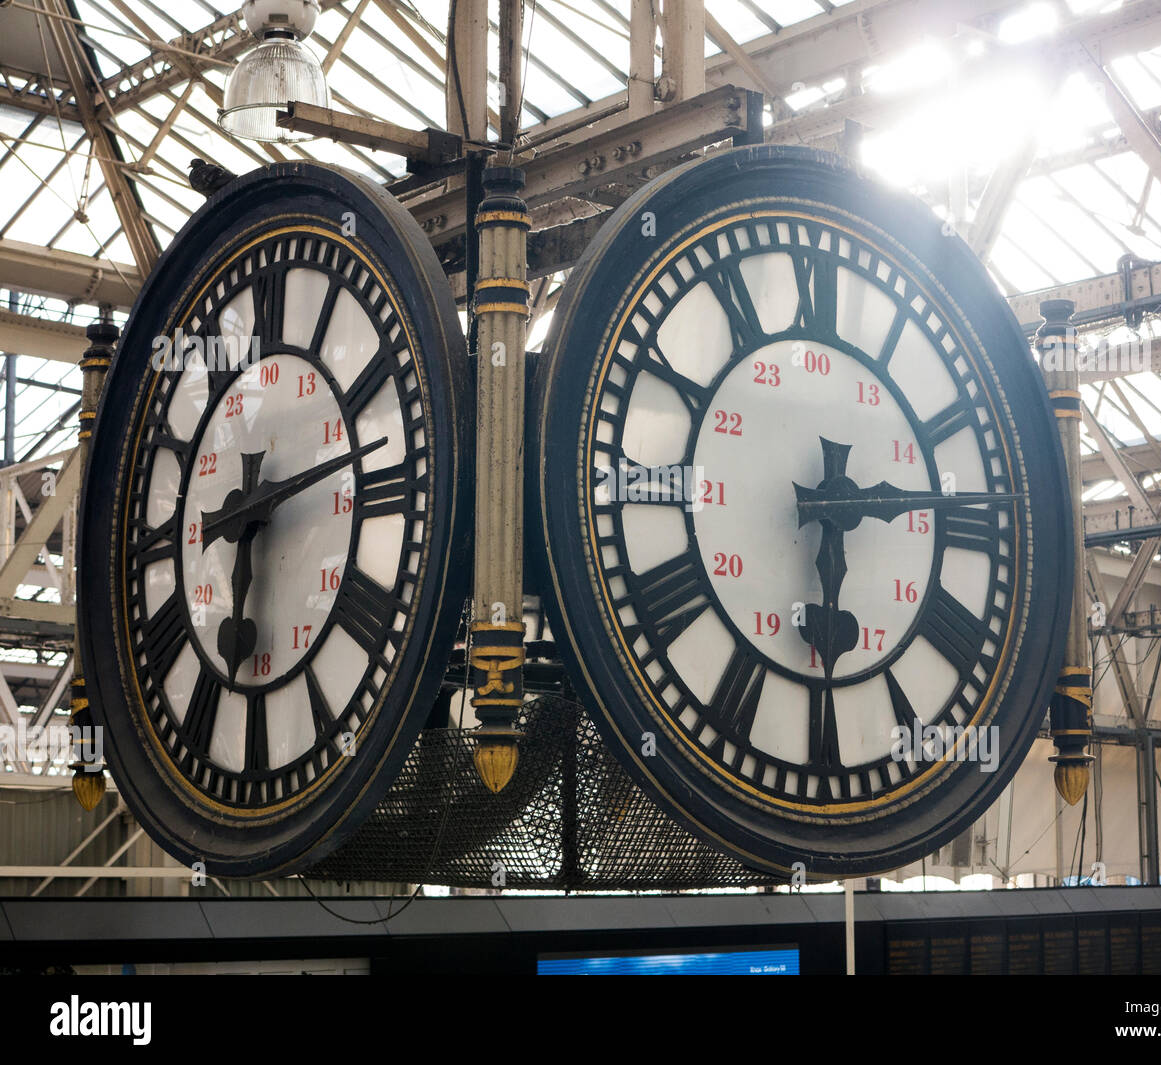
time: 6:13
